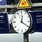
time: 12:20
